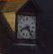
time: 8:24
